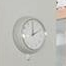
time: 2:00
